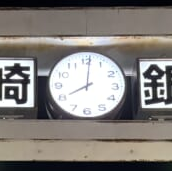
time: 8:01
